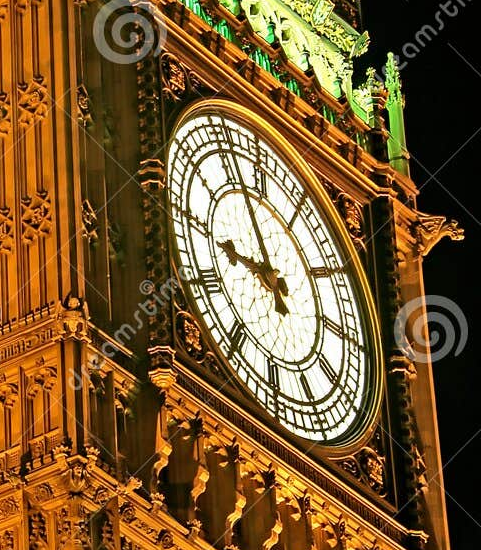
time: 8:56
